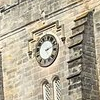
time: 2:11
